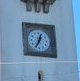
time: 12:34
